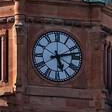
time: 5:12
